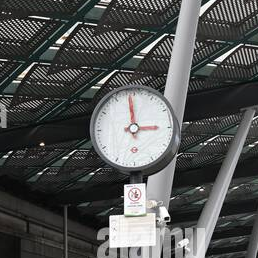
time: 2:58
